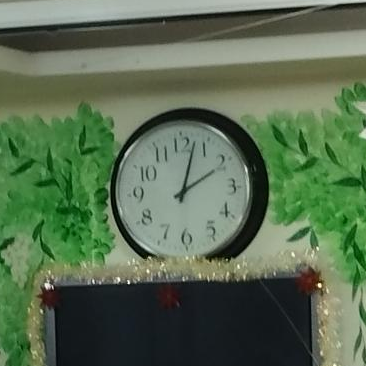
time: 2:02
